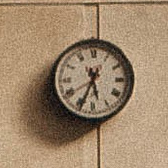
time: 5:34
